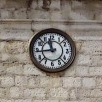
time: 11:43
